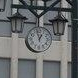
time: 12:57
